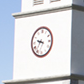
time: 9:36
